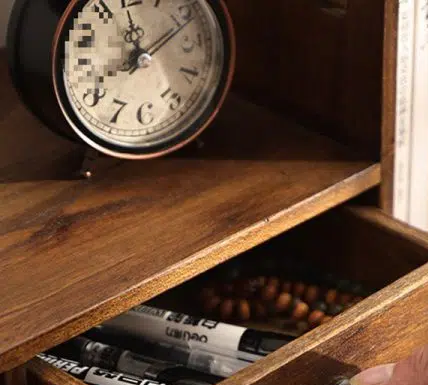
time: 12:11
